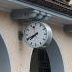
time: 7:40
